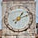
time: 1:11
